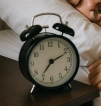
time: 7:11
